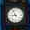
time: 8:56
